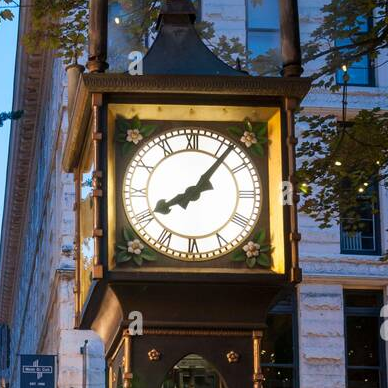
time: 8:06
